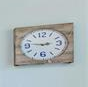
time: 2:46
